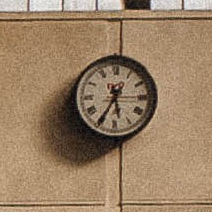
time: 5:35
